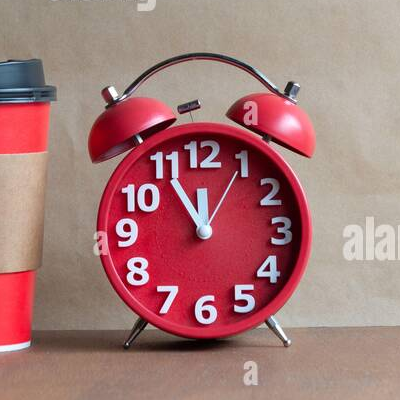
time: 11:54
